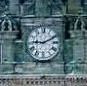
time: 9:11
